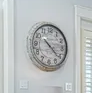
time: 10:21
